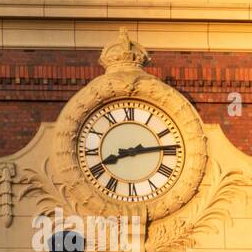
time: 8:14
